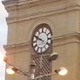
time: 9:49
